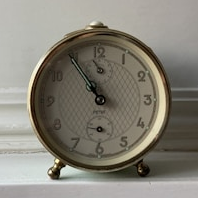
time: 10:54
